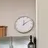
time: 12:09
